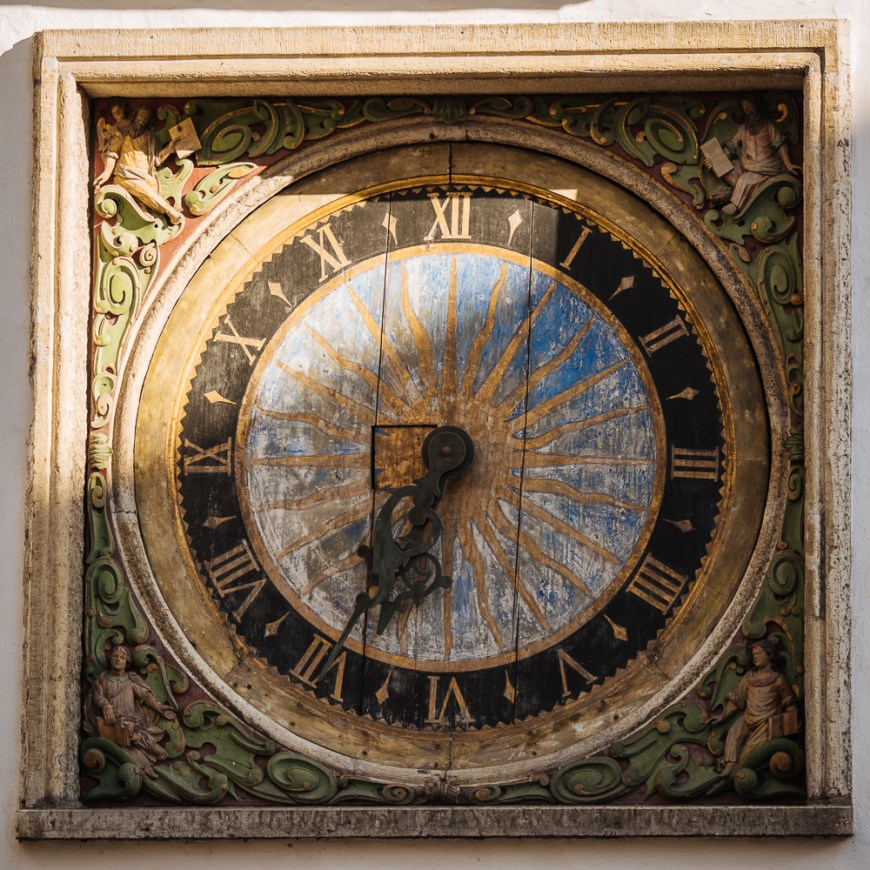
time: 7:34
